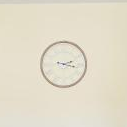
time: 2:17
